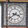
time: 3:38
